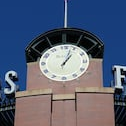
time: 1:03
